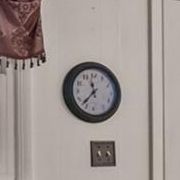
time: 11:36
